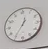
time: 12:35
